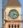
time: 7:15
